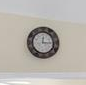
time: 12:15
